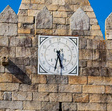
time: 5:32
